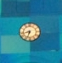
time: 8:33
